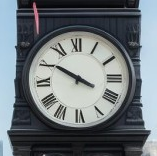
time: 3:50
